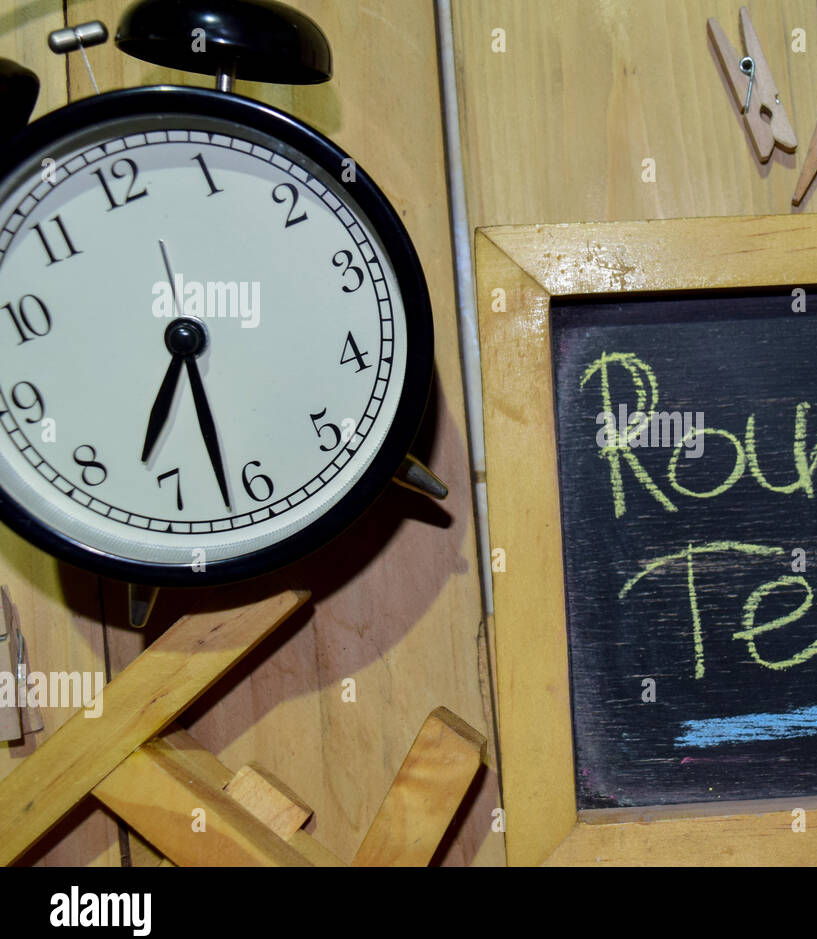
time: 7:32
